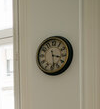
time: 3:28
